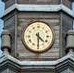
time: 4:29
